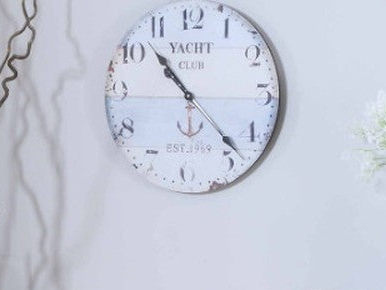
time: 10:22
